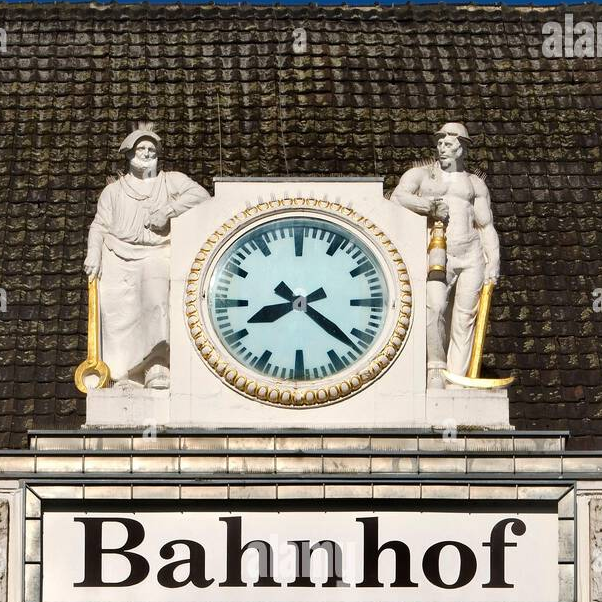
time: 8:21
